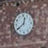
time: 12:38
